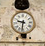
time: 9:32
